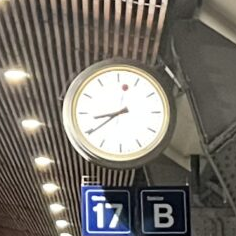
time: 8:39
